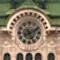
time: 5:11
